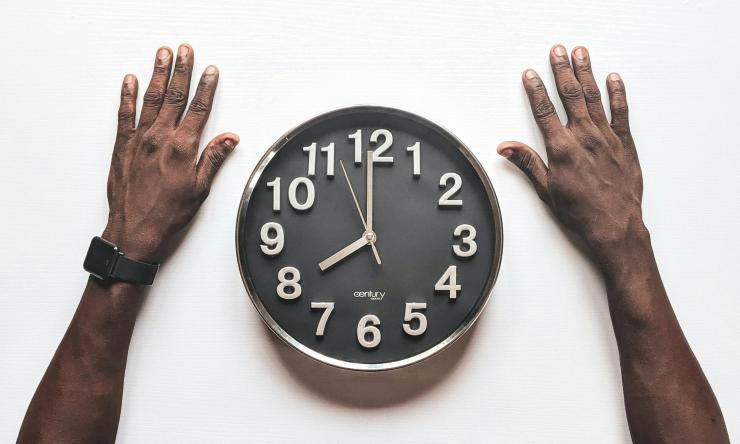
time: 7:59
